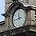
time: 11:42
